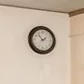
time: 1:53
